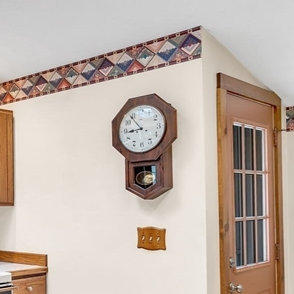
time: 8:53
